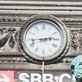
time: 2:43
